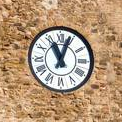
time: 11:03
